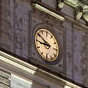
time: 8:50
